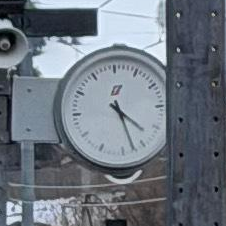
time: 4:27
